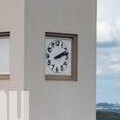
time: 2:12
